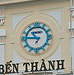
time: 10:45
